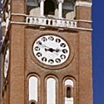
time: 3:13
